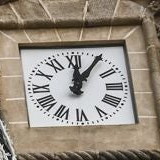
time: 12:05
